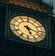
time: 5:17
